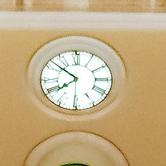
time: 7:51
